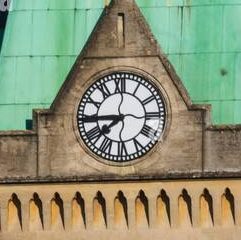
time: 7:44
